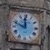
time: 11:48
